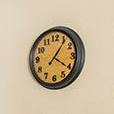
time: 4:06
